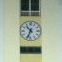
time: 10:34
